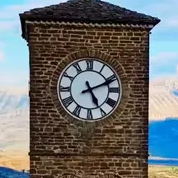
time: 5:11
